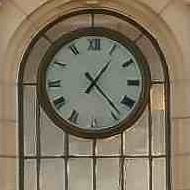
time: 1:23
